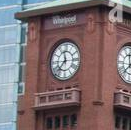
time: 11:36
